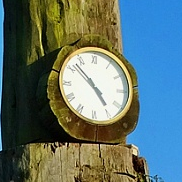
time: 4:52
